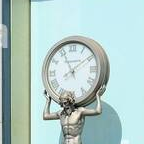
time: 11:09
